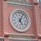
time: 5:04
